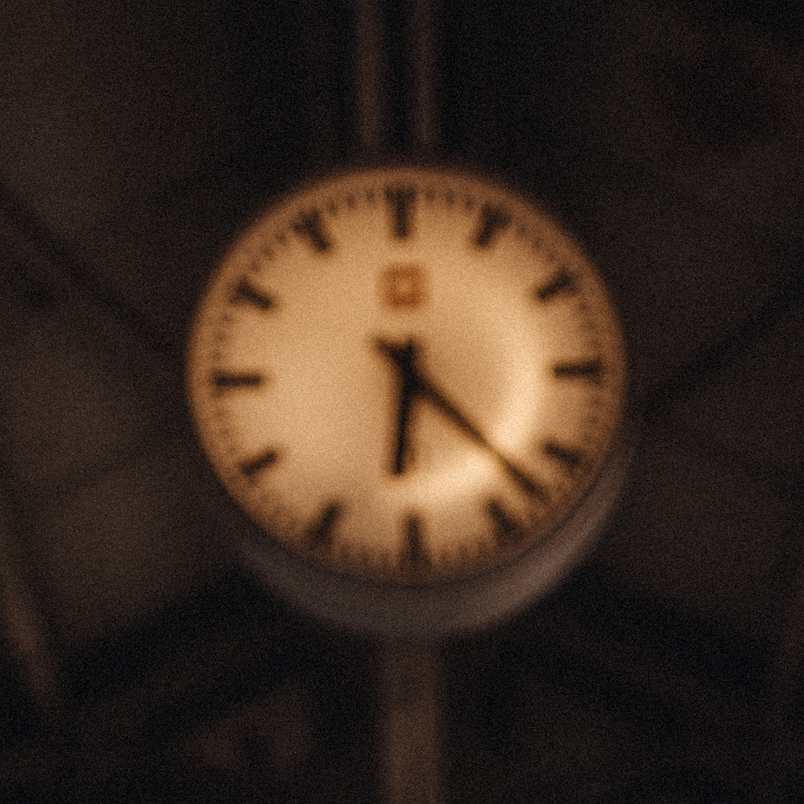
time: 6:22
